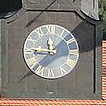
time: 11:45
